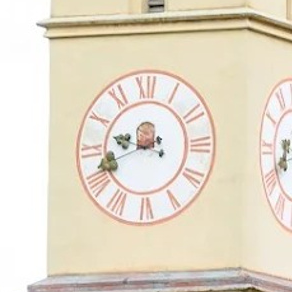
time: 9:41
